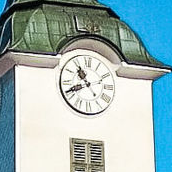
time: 10:41
